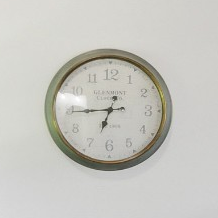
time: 6:44
